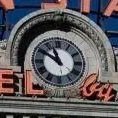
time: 10:50
